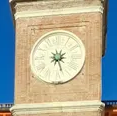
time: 2:27
